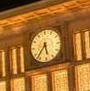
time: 5:36
